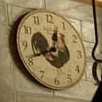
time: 12:41
